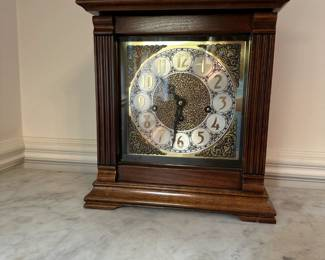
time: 6:32
